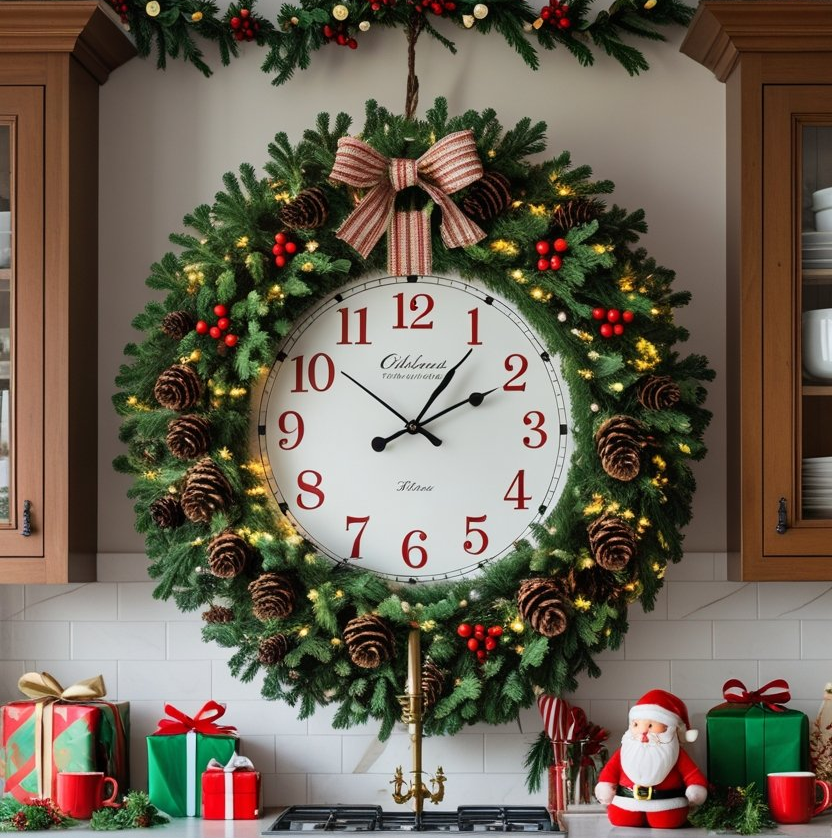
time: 2:06
